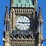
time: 9:14
